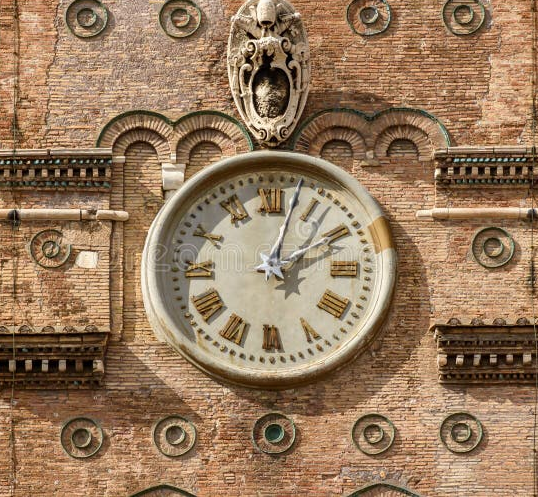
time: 4:02
